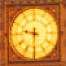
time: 9:30
